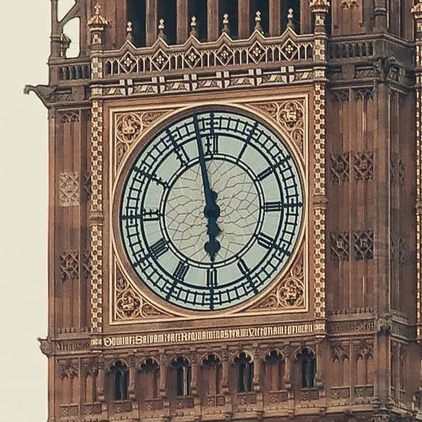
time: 5:57
